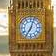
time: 7:03
